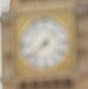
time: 7:38
